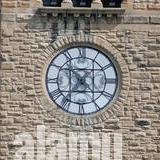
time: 4:35
